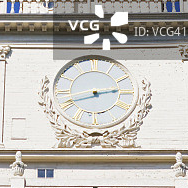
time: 2:42
